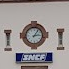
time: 1:13
